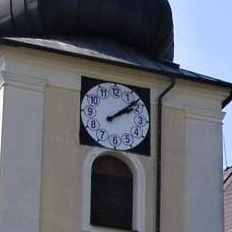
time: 2:08
